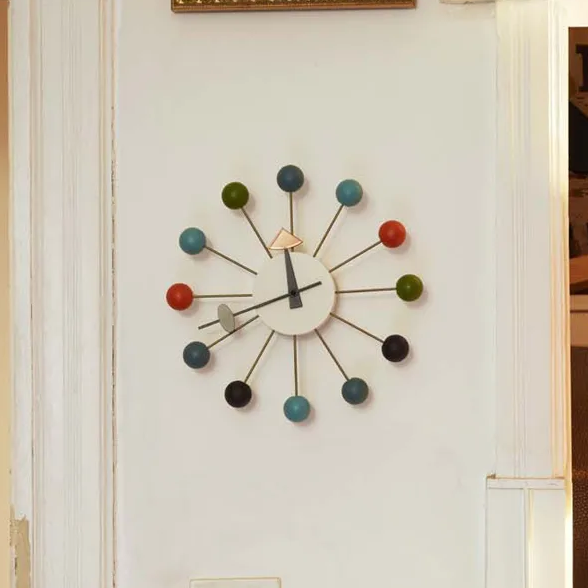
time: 11:41
